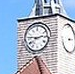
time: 2:46
